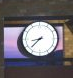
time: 8:37
